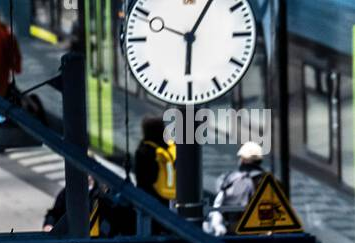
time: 6:05
